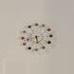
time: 5:42
